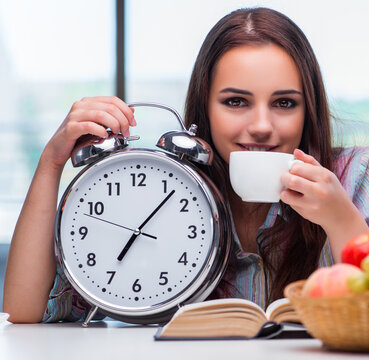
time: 7:07
